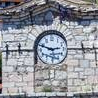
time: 2:48
